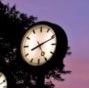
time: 8:11
